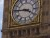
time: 3:45
